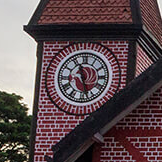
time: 11:27
